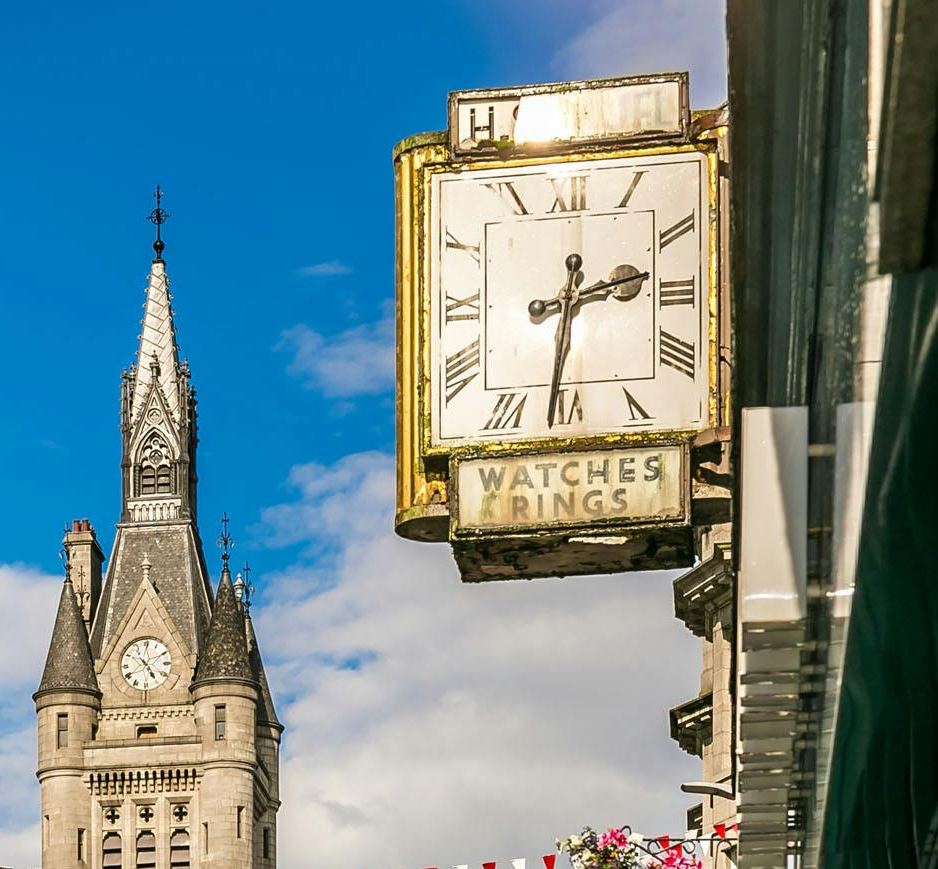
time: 2:31
